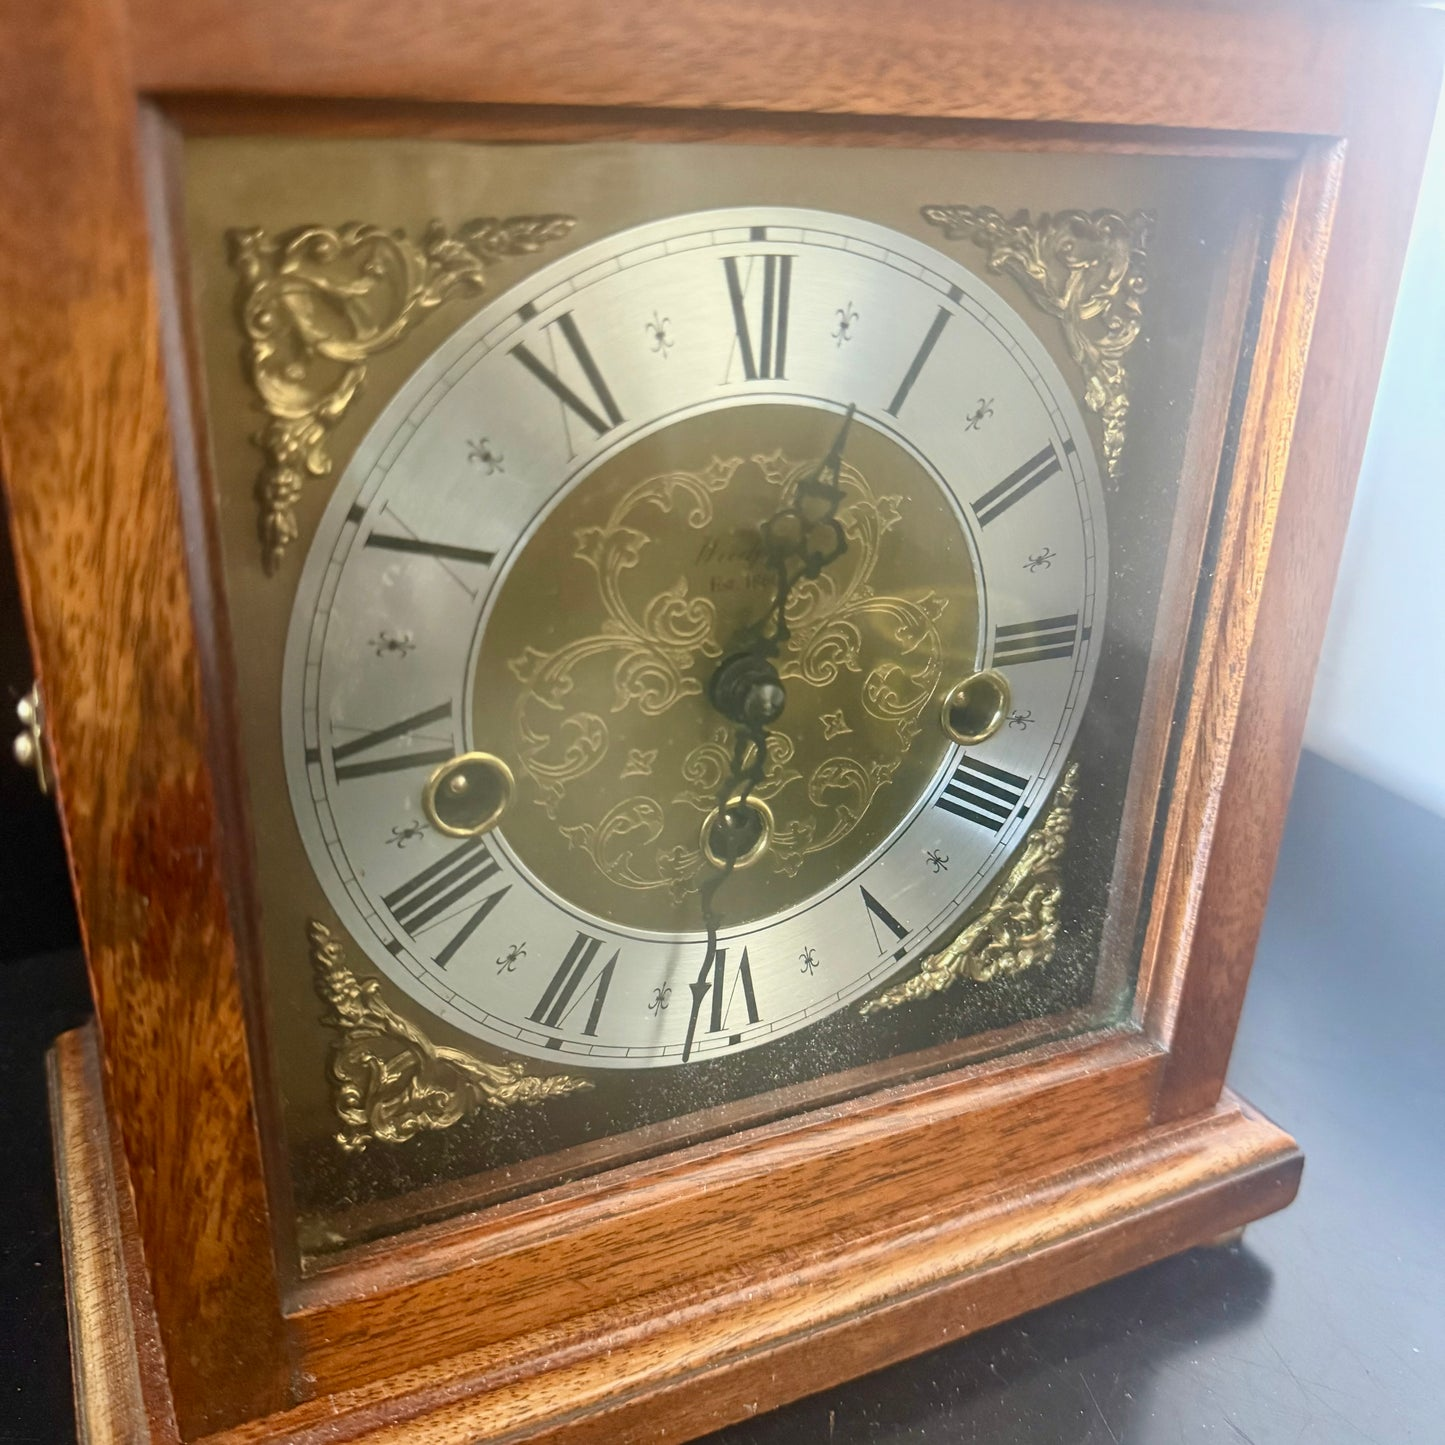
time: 6:03
